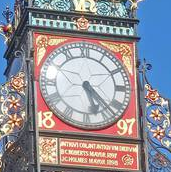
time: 5:22
